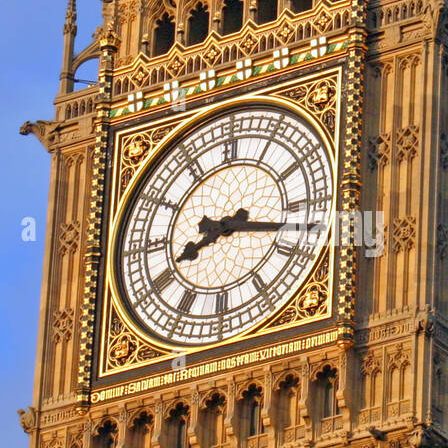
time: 8:17
